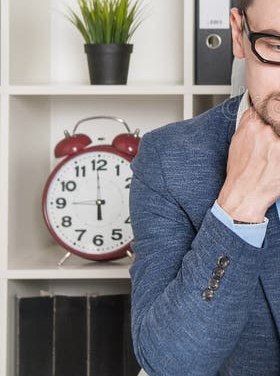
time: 5:59
